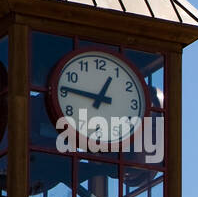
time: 12:46
